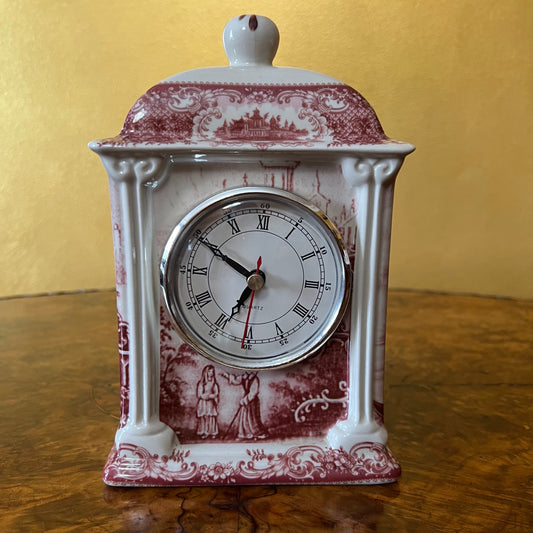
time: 6:50
